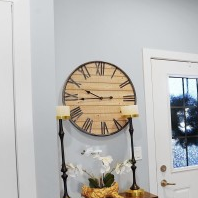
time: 2:49
